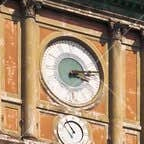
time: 3:13
